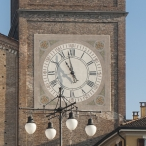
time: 10:57
